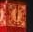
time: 6:00
